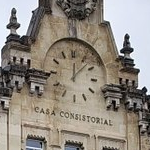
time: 12:07
